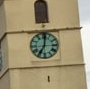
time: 7:01
